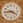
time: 3:44
